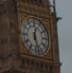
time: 12:27
